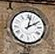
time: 2:02
